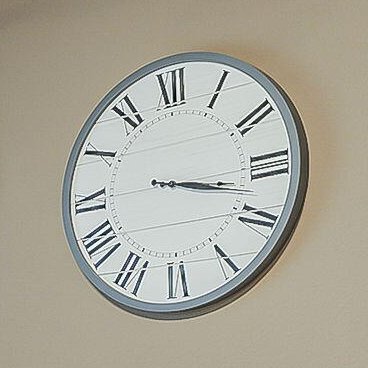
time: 3:17
